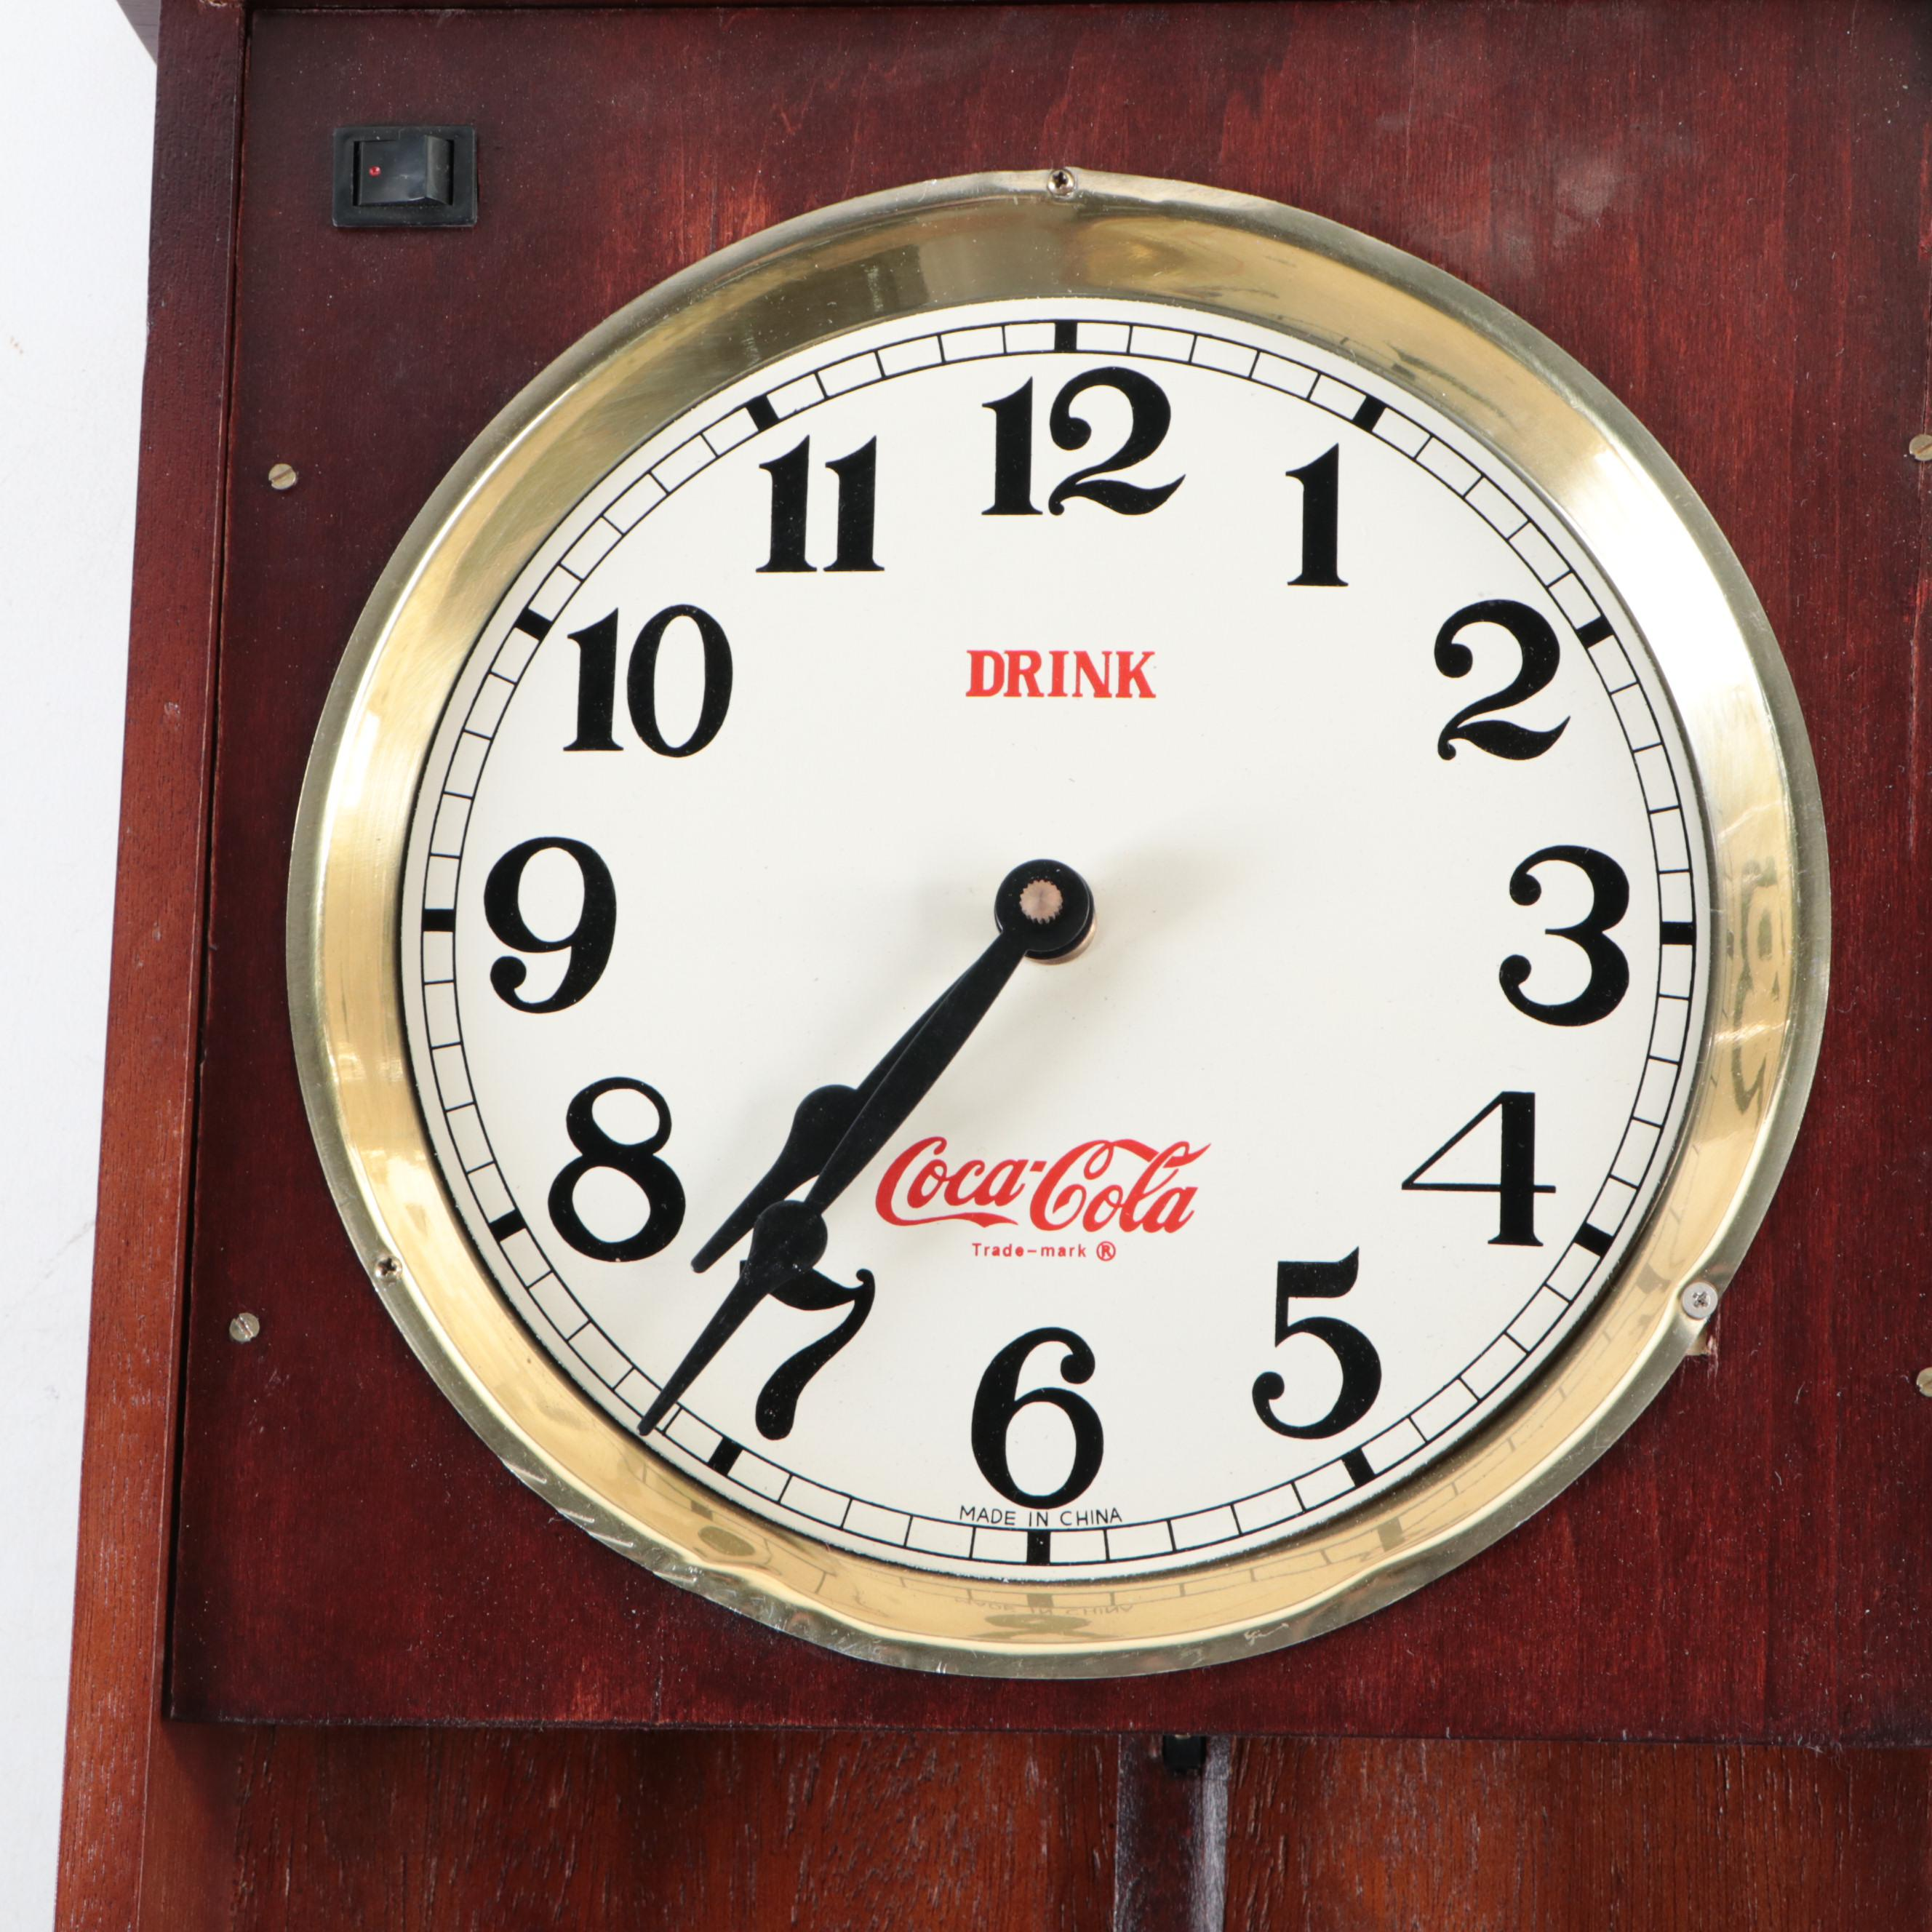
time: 7:36
